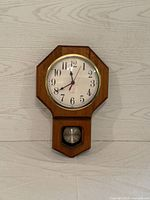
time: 11:40
